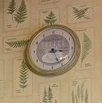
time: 3:26
